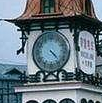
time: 4:22
